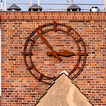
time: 2:53
